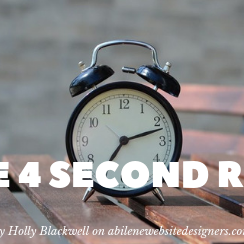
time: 7:12
